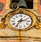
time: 2:35
